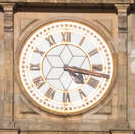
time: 4:17
